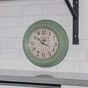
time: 3:52
